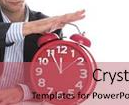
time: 11:55
